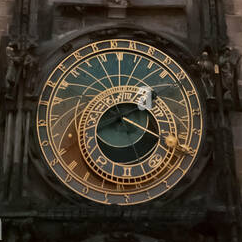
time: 2:18
